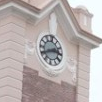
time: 2:40
